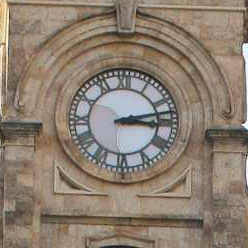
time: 3:12
